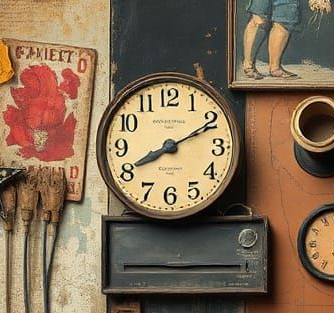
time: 8:10
